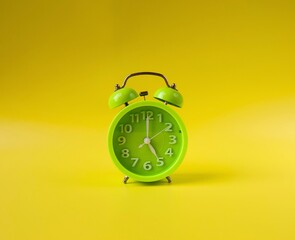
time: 5:00
